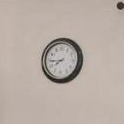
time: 7:44
